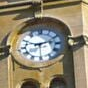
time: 9:12
